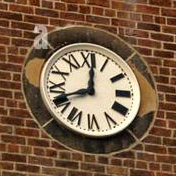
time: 8:01
